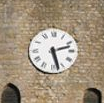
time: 2:27
